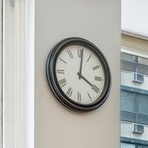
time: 4:01
